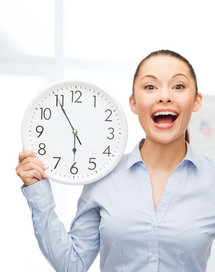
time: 5:54
